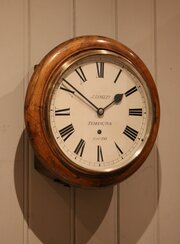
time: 1:51
